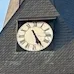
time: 5:24
